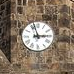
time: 2:57
